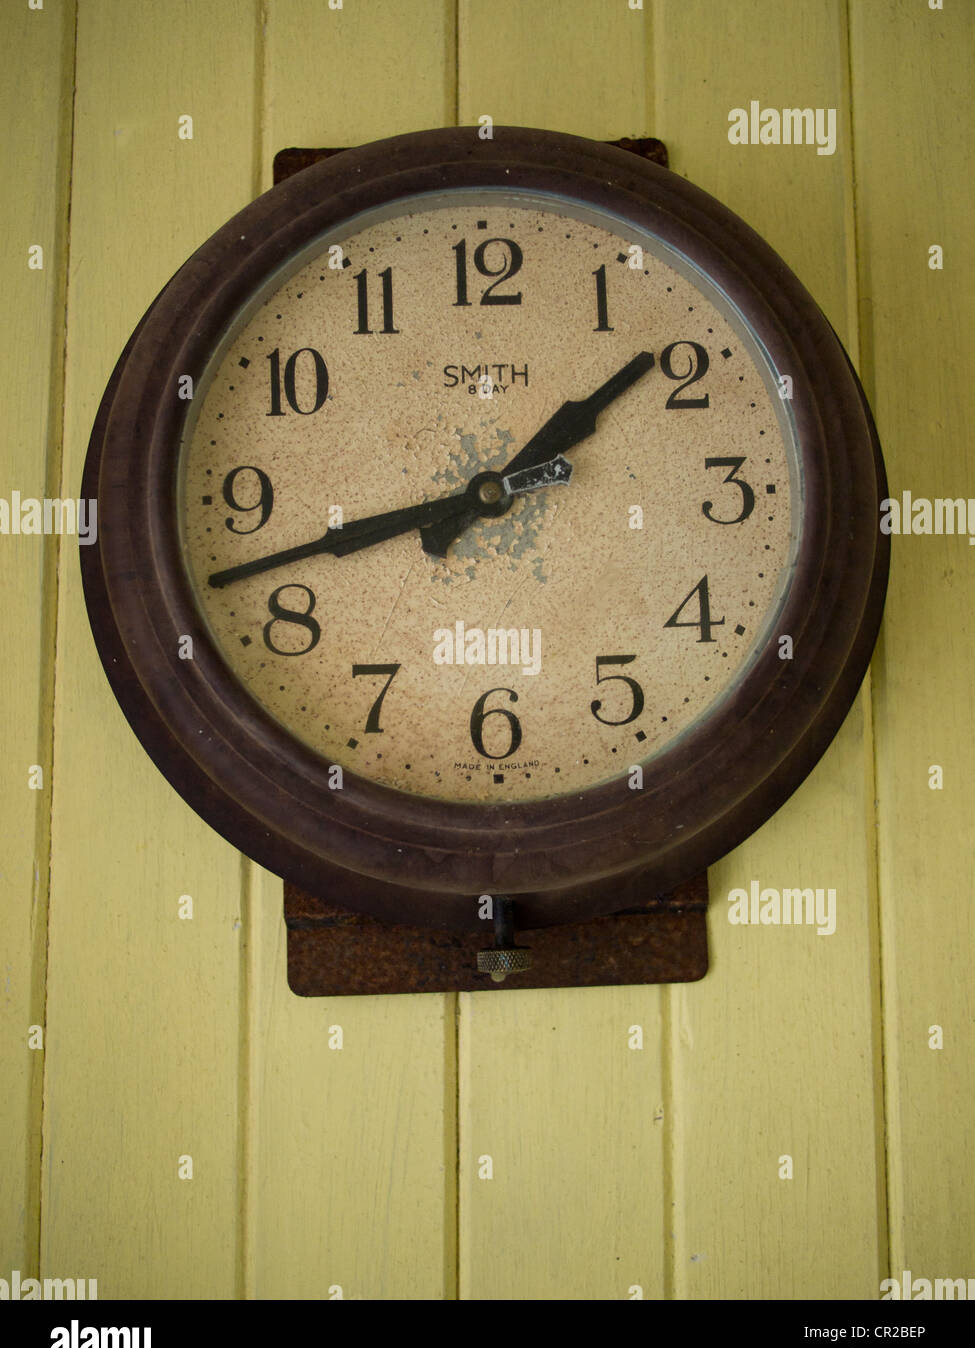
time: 1:42
